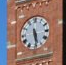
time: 5:28
